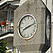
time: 8:12
